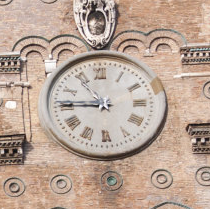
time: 10:45
